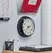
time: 2:36
